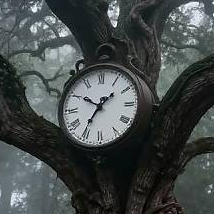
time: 1:35
